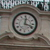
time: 12:18
